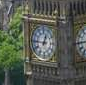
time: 12:45
